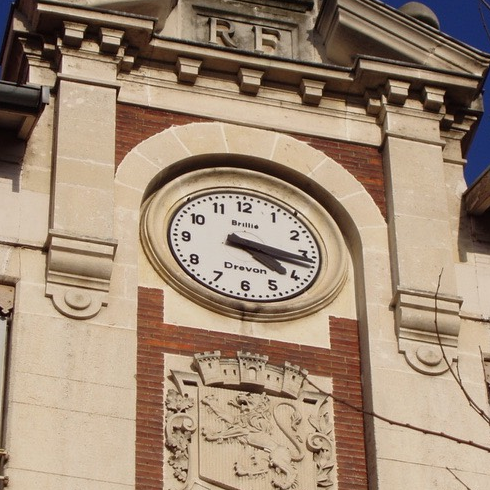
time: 4:16
